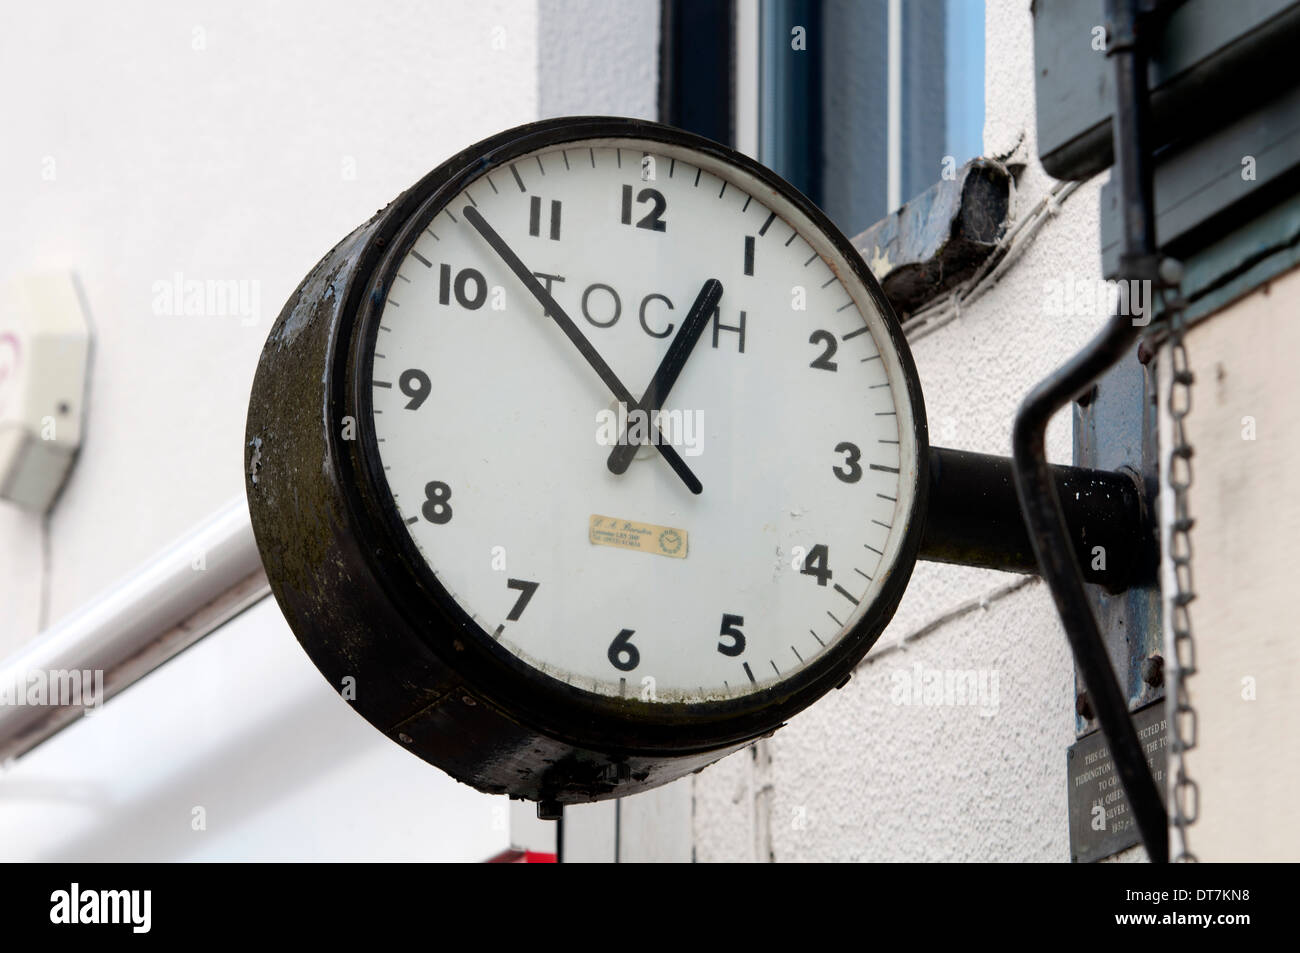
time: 12:52
